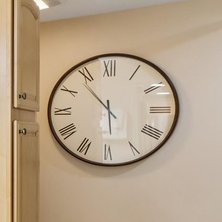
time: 5:53
